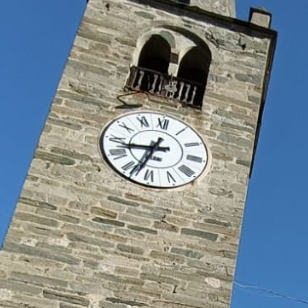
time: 8:33
